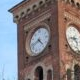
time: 4:42
